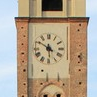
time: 5:50
